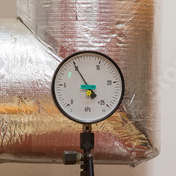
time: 3:54
